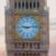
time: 9:13
